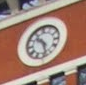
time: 10:28
